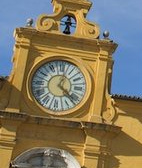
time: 4:02
